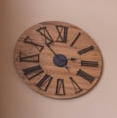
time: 2:53
